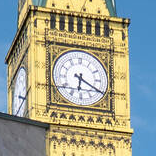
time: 6:19
